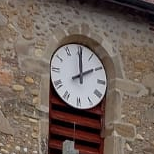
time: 2:00
